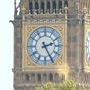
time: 2:25
